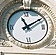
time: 11:09
